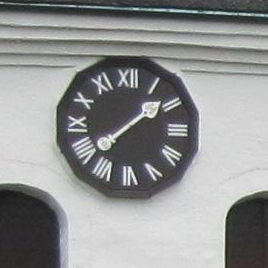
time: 1:38
